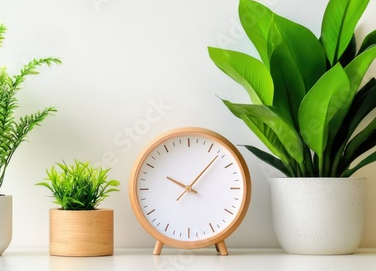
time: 10:07
